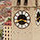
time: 3:40
